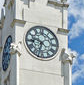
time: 9:32
